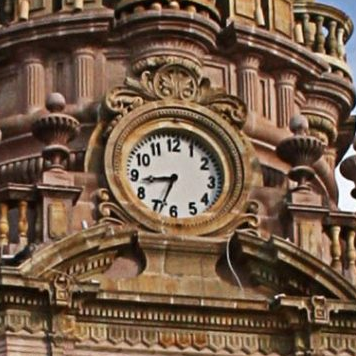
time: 8:33
